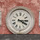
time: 4:14
